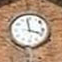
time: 3:58
